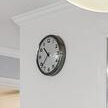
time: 10:37
